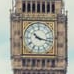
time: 10:17
